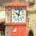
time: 10:02
